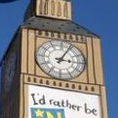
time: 3:04
